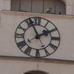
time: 1:56
